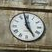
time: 4:58
